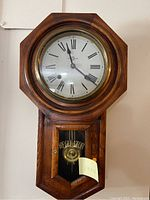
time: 11:21
